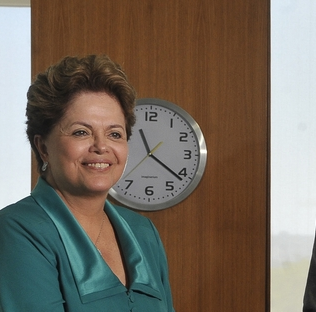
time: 11:21
